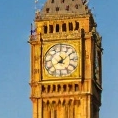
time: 8:09
